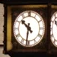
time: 10:31
